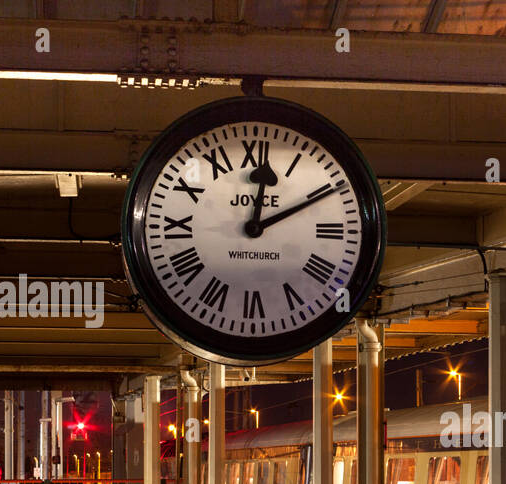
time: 12:10
